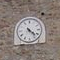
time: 4:22
